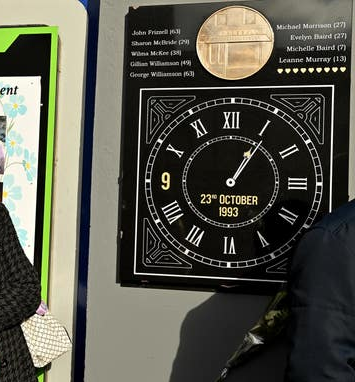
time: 1:05
